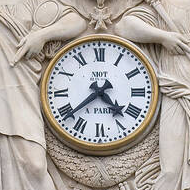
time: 4:38
